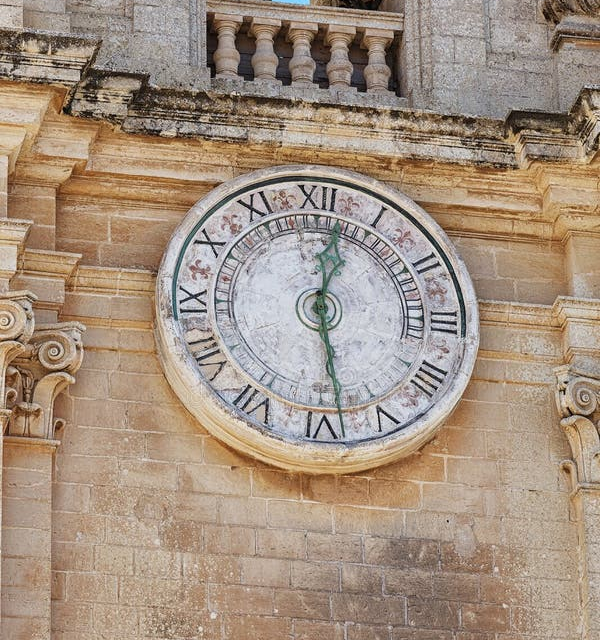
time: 12:28
